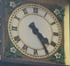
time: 4:24
